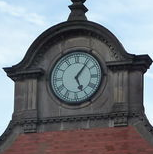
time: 5:06
